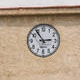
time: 2:54
